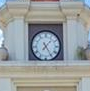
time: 1:24
